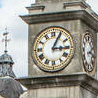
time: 3:04
